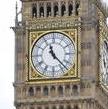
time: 11:22
